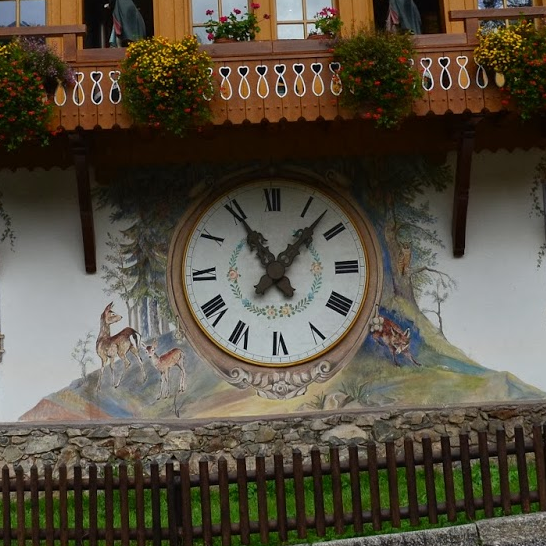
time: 11:07
